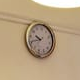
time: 9:41
